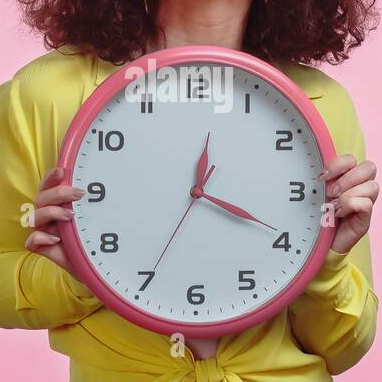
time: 12:19
